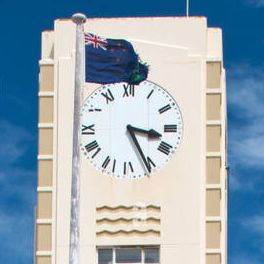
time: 3:25
